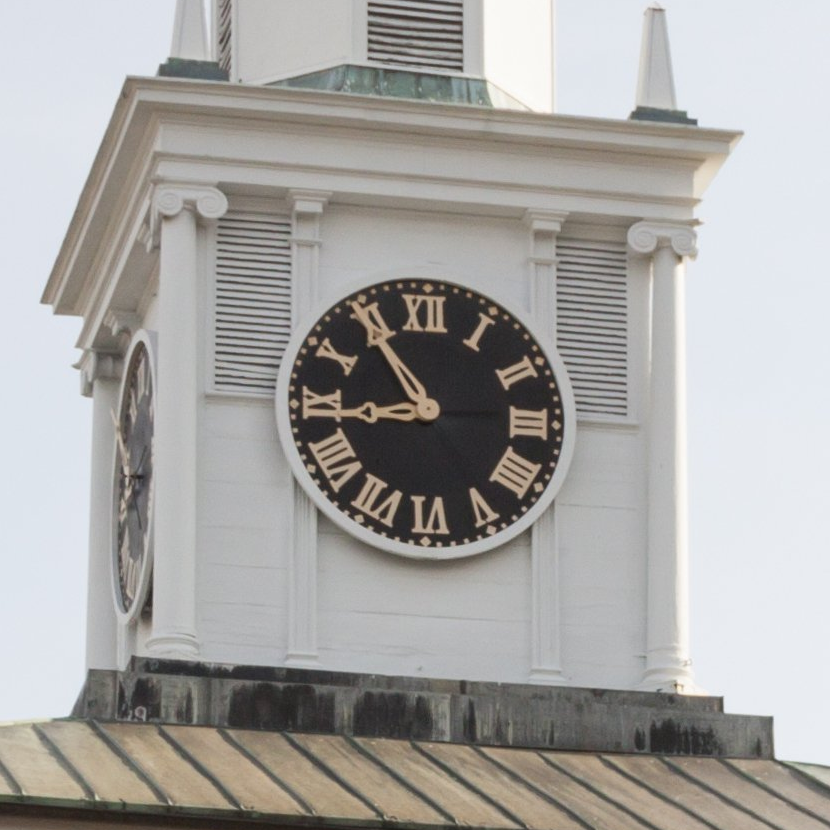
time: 8:54
